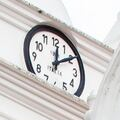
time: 12:09
